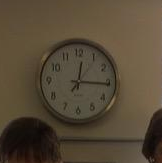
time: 12:15
